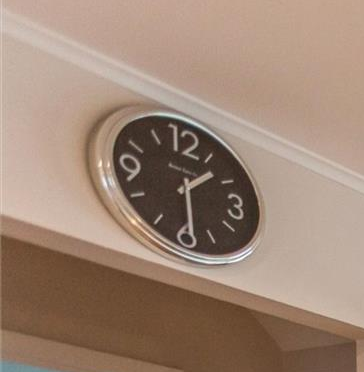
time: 1:28
